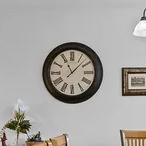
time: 11:07
